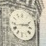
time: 2:42
